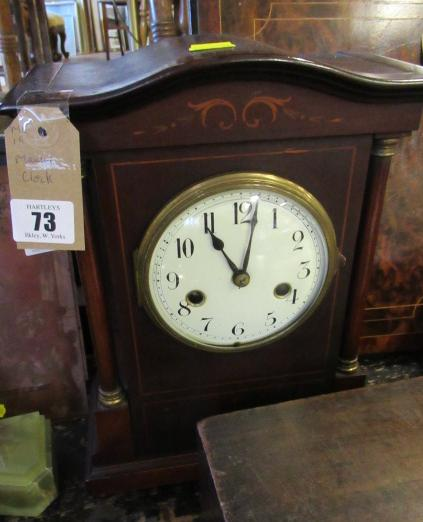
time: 11:02
